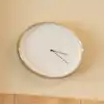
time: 3:21
